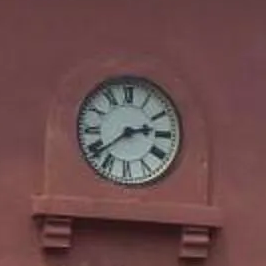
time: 2:38
